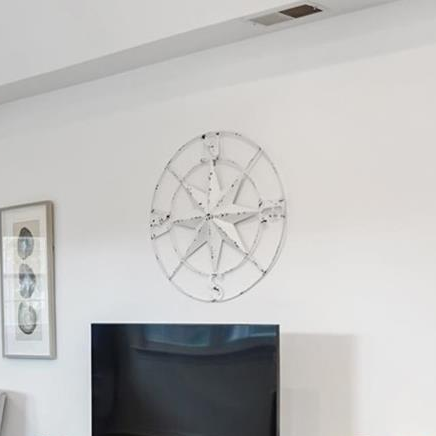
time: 4:13
